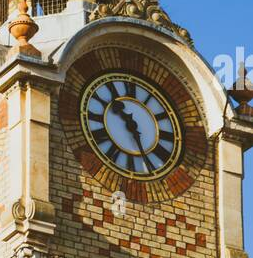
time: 10:26
